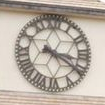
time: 3:20
